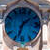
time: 1:33
